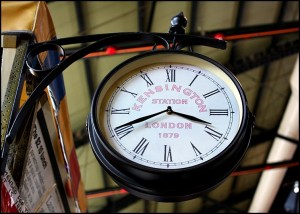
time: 3:40
